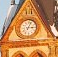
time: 3:04
